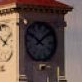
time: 10:07
